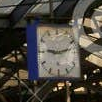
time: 9:12
